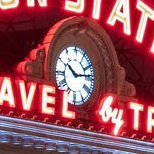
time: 10:13
